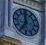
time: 11:35
